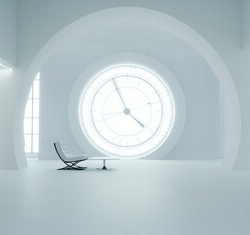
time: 4:12
